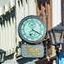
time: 6:19
